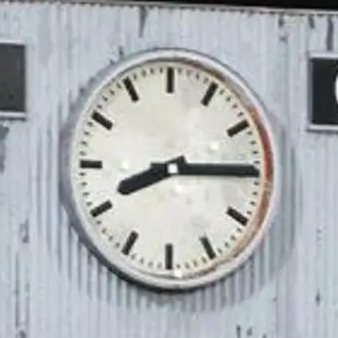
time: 8:14
